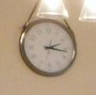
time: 2:16
